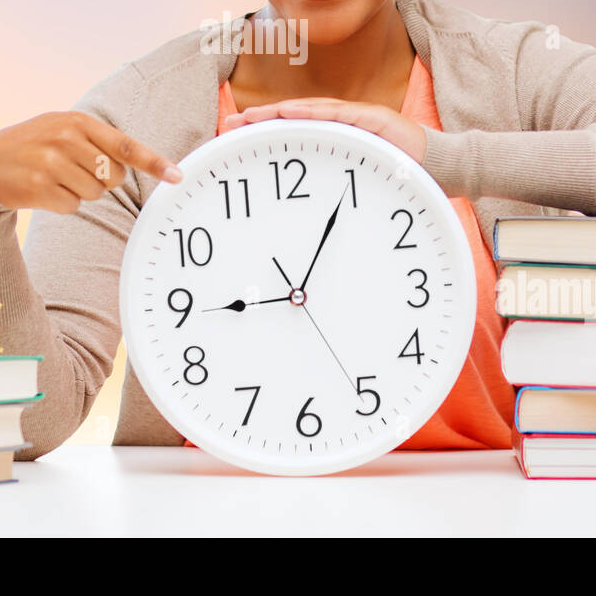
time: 9:04
